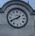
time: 1:40
